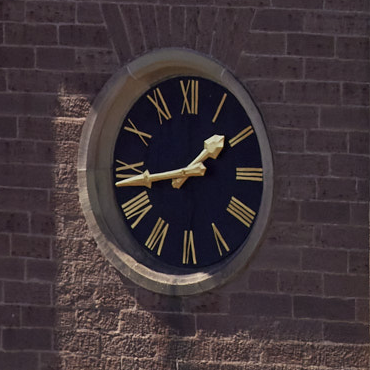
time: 1:43
